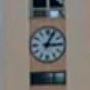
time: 3:04
